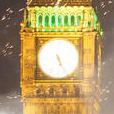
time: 5:25
